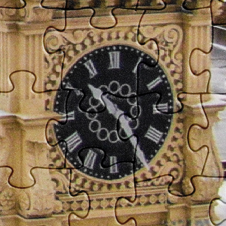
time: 10:24
